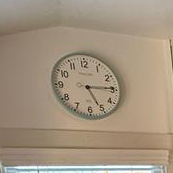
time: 5:14
